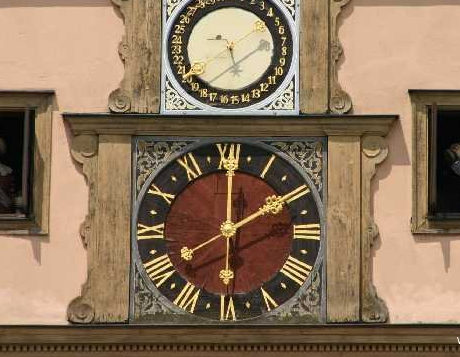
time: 2:00
